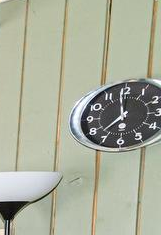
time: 11:37
